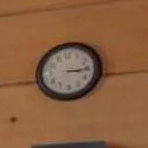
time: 3:14
